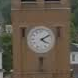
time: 4:09
